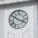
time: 3:51
